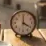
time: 4:00
